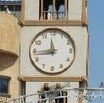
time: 11:44
